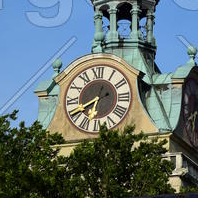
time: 6:40
